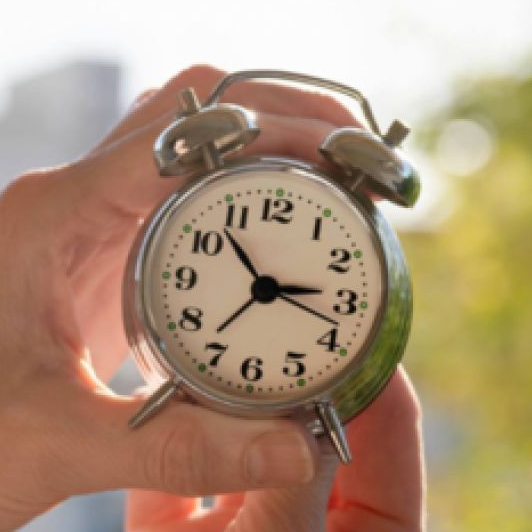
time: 2:53
